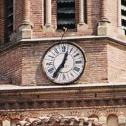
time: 12:36
